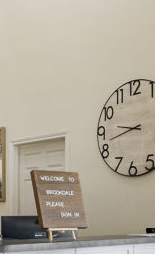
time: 9:42
